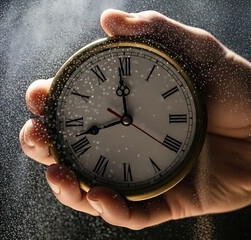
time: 11:42
